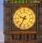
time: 9:35
